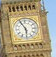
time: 5:55
